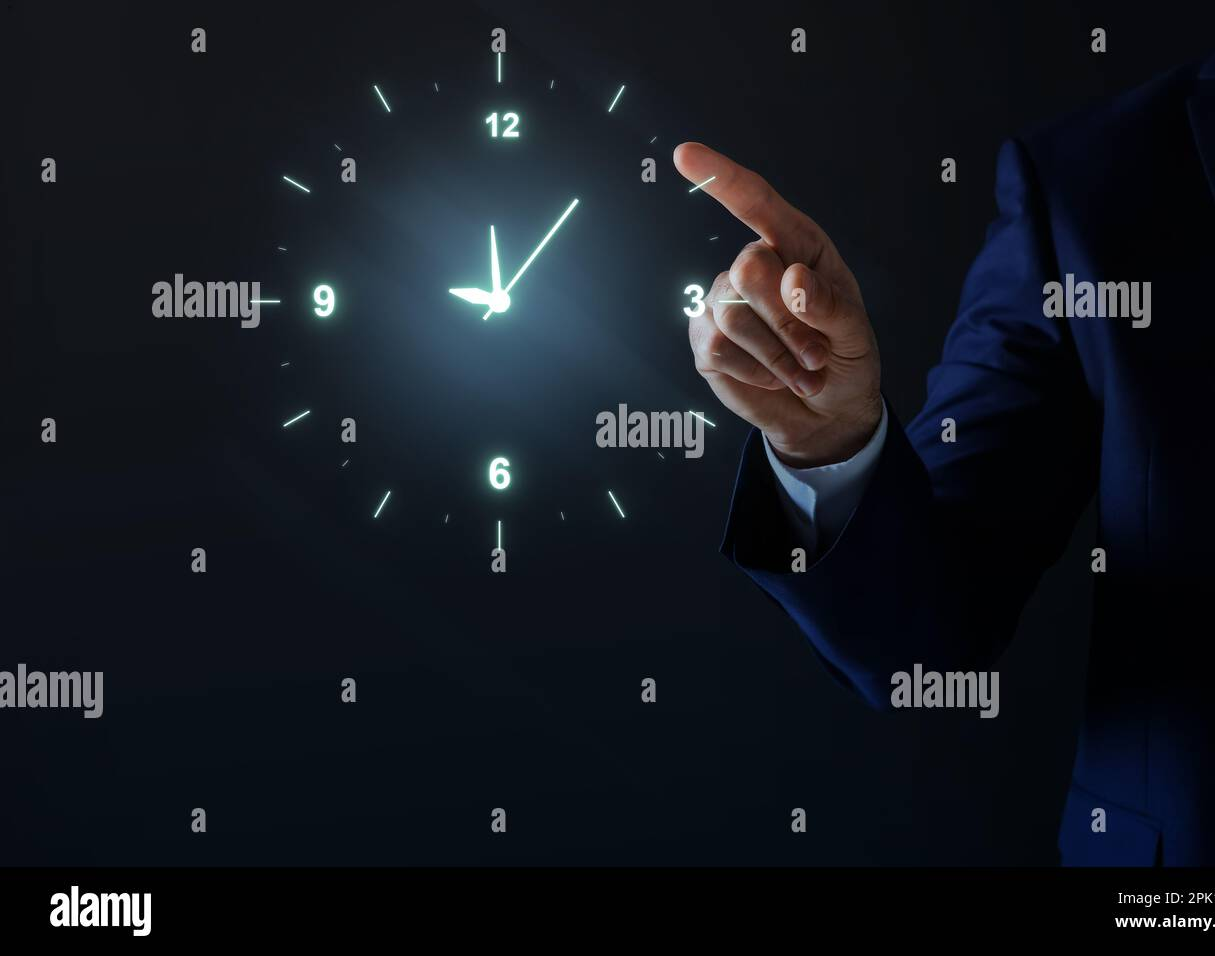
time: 12:07
